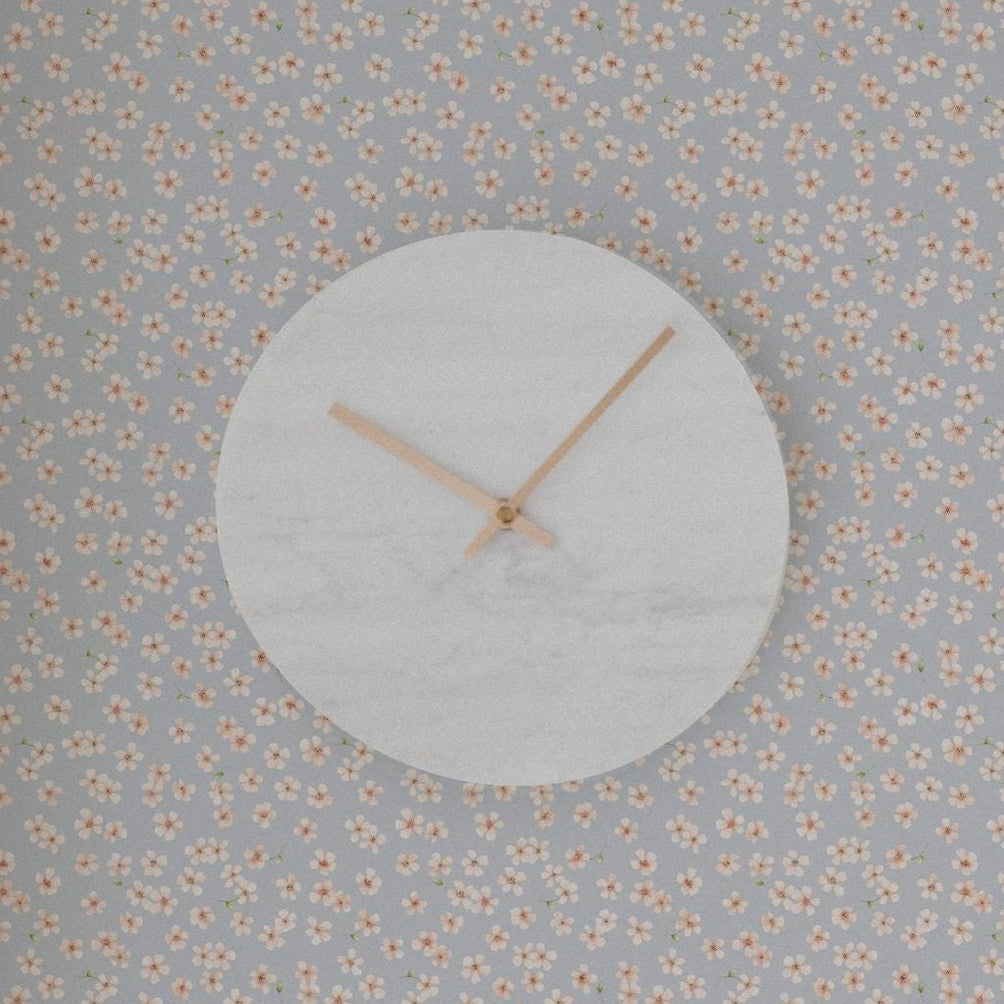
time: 10:07
